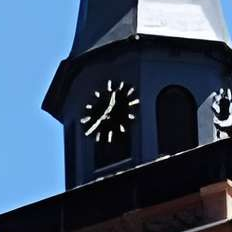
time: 12:37
